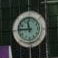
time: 11:44
